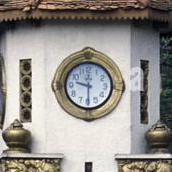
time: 9:29
